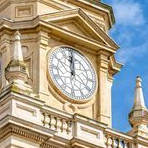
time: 12:00
